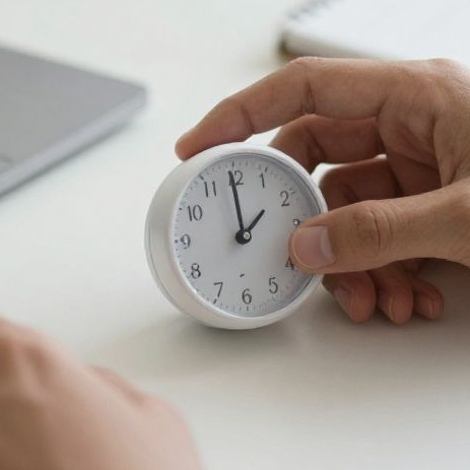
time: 1:59
